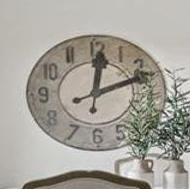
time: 12:11
